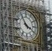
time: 3:54
